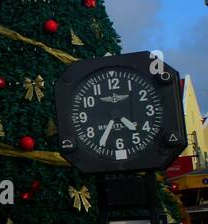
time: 4:35
